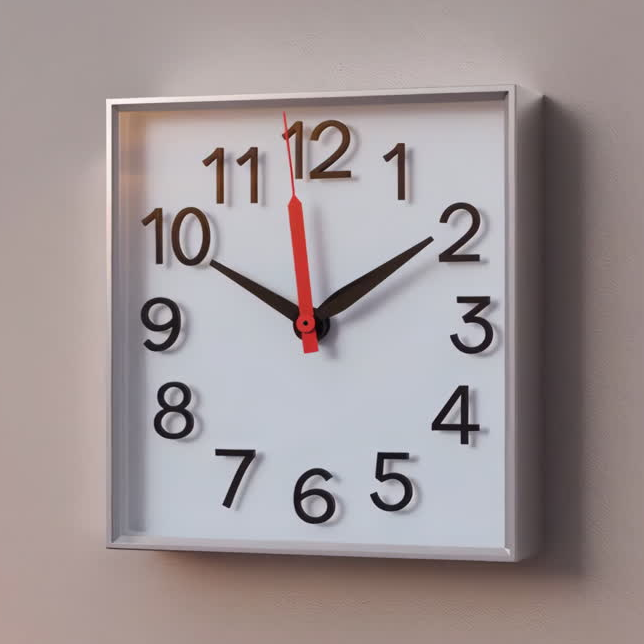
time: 1:49
